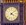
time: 4:08
